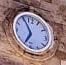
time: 6:56
